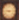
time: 9:14
